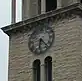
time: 6:23
